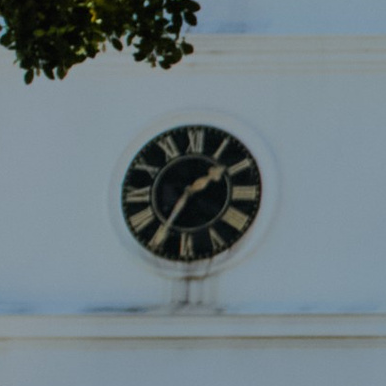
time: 1:35
